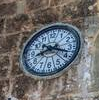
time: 8:18
